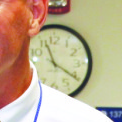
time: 11:20
